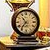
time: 10:36
